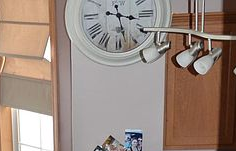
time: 3:27
